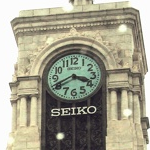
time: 3:40
